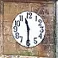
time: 11:29
